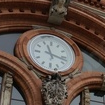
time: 11:17
